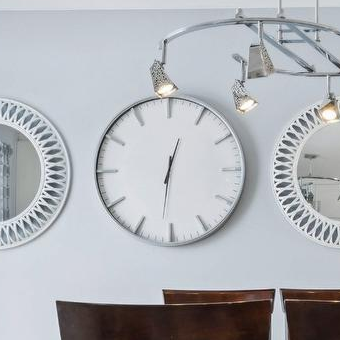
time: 12:31
